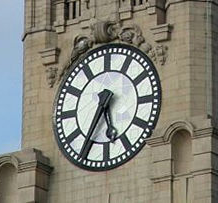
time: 5:35
